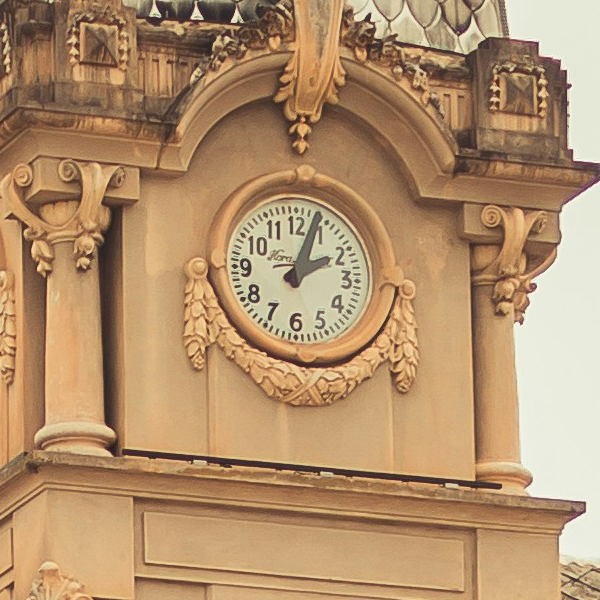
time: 2:03
